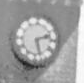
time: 2:27
